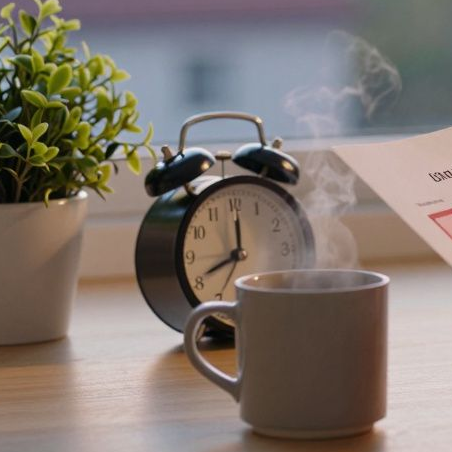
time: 8:01
